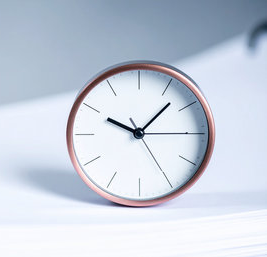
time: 10:07
